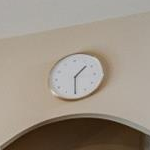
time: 1:30
